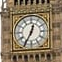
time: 12:34
